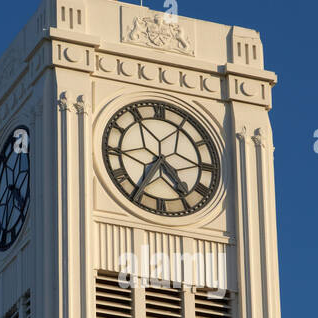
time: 4:35
